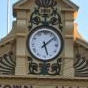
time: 5:08
